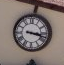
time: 3:17
